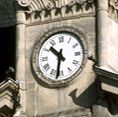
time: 10:31
